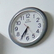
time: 6:35
